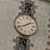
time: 1:39
